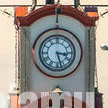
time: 3:27
